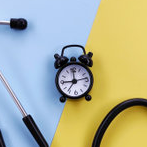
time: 12:13
